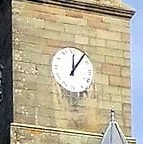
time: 12:06
